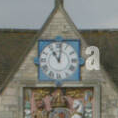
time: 11:01
